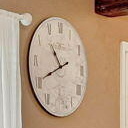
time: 10:40
